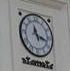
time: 11:17
